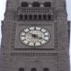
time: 3:48
